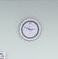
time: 2:48
